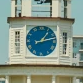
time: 1:12
